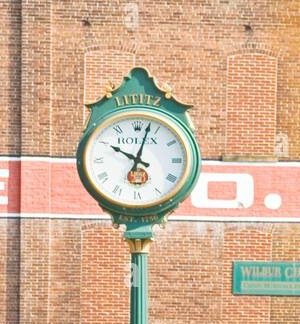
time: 10:02
